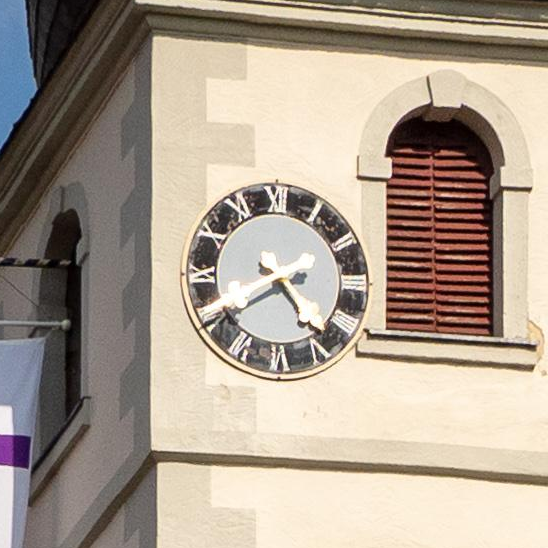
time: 4:40
